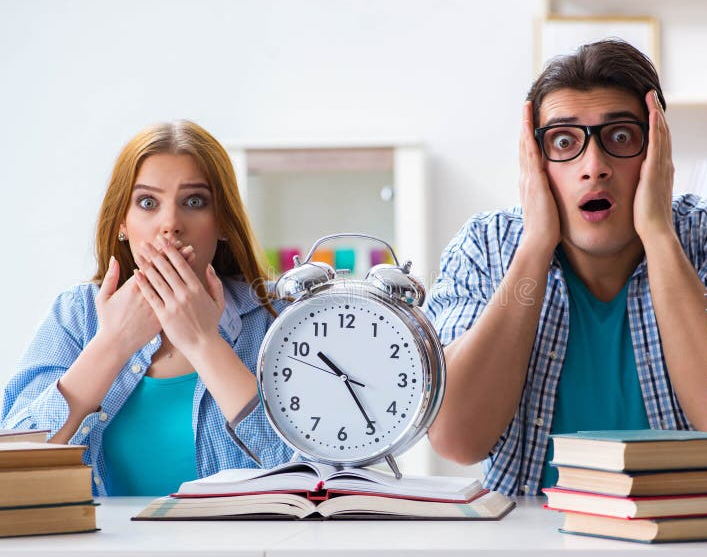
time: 10:24
